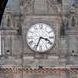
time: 3:34
